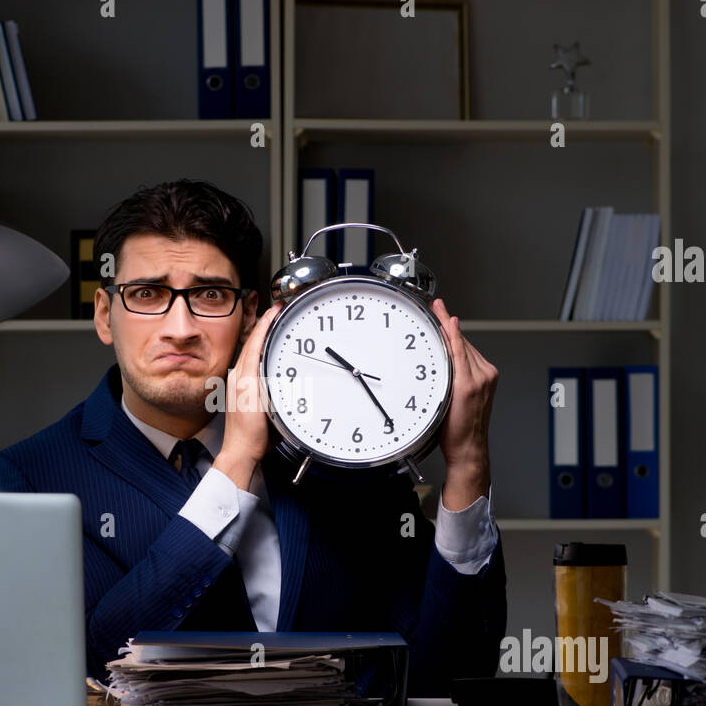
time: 10:24
